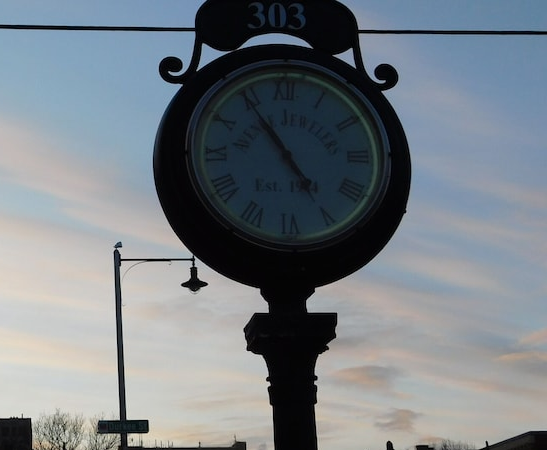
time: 4:54
